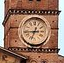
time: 6:43
